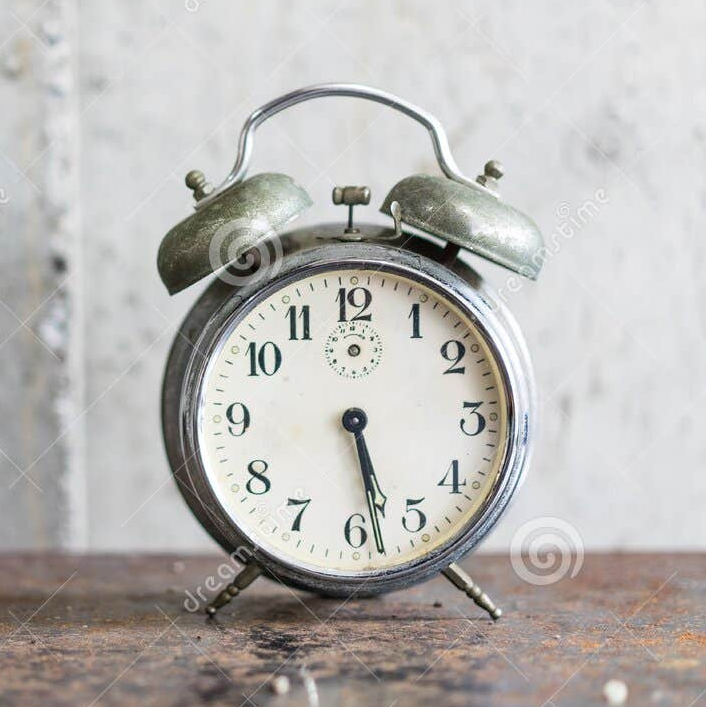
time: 5:28
